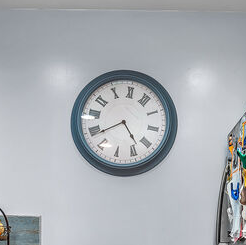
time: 4:38
